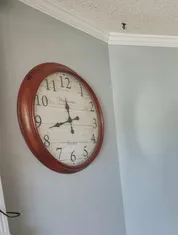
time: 11:42
